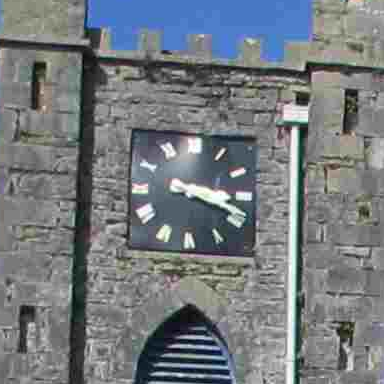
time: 3:18
